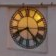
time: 8:23
